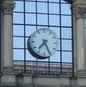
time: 7:25
